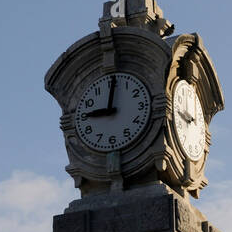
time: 9:01
